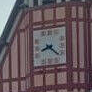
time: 8:21
